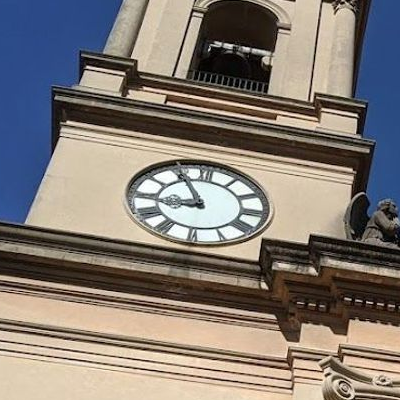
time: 8:54
